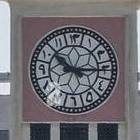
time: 10:15
